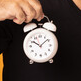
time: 10:08
